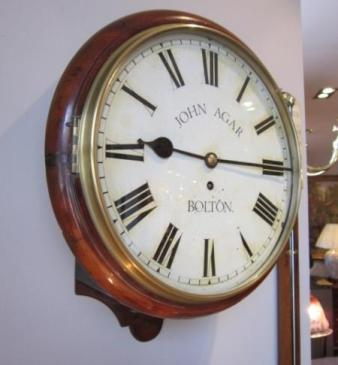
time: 9:14
